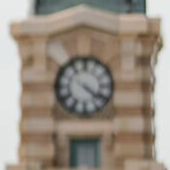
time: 4:20
